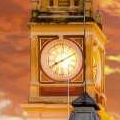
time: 8:09
